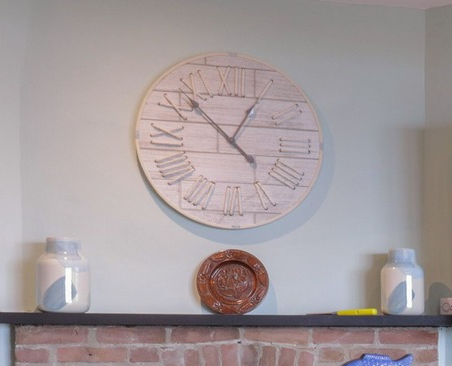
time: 12:52
